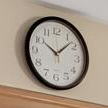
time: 10:07
